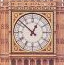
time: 12:52
